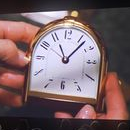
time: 11:07
